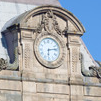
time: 6:13
